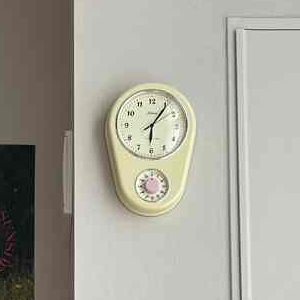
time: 6:05
